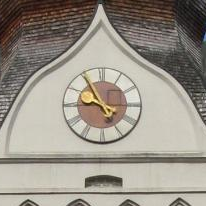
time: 8:54
